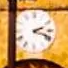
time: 2:18
